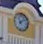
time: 11:07
